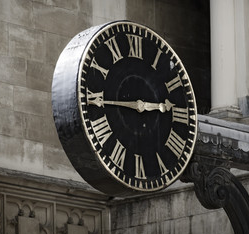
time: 2:44
